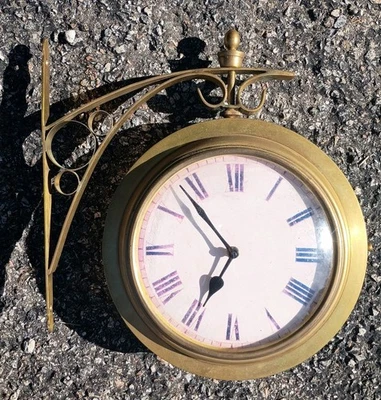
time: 6:53
